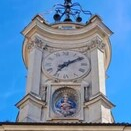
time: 7:09
